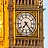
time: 7:23
